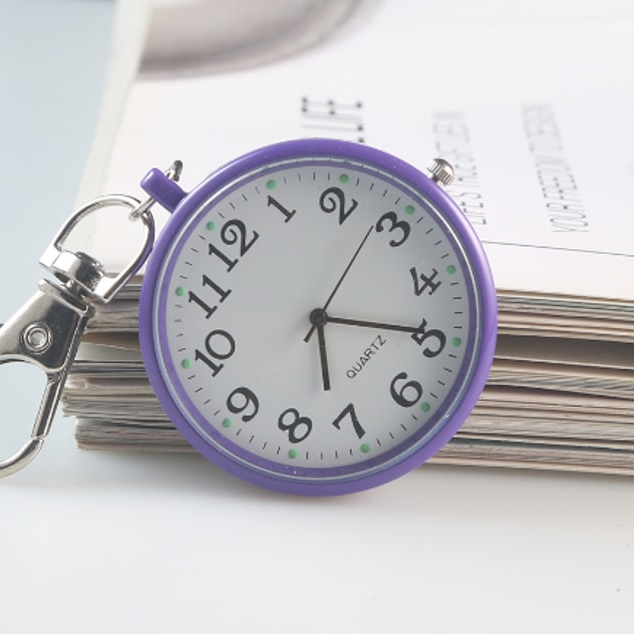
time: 6:19
